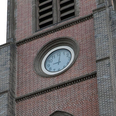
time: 9:01
